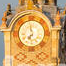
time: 6:58
